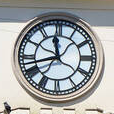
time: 11:42
